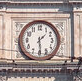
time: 1:28
